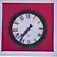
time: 7:37
